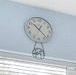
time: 10:22
